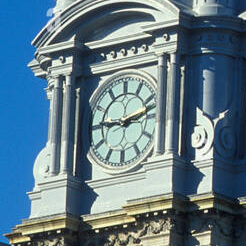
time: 9:12
